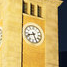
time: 8:26
